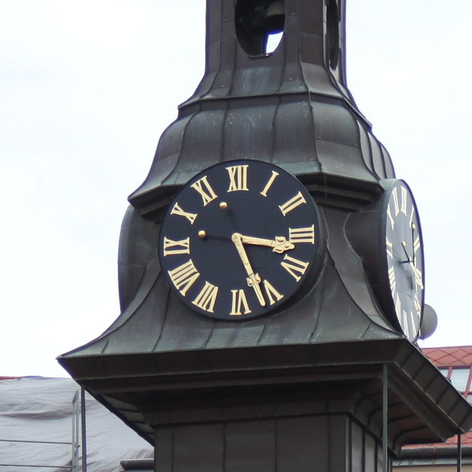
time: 3:26
